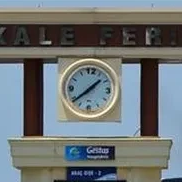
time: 1:38
